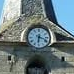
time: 6:18
